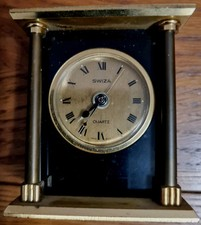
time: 7:36
